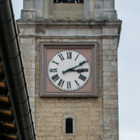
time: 3:10
